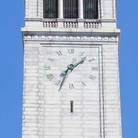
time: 1:33
